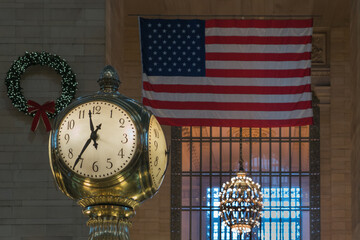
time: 11:35
